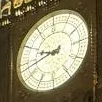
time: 9:42
